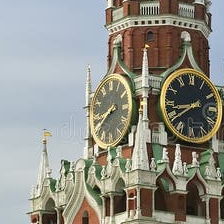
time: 8:40
